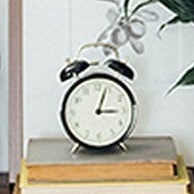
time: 3:03
